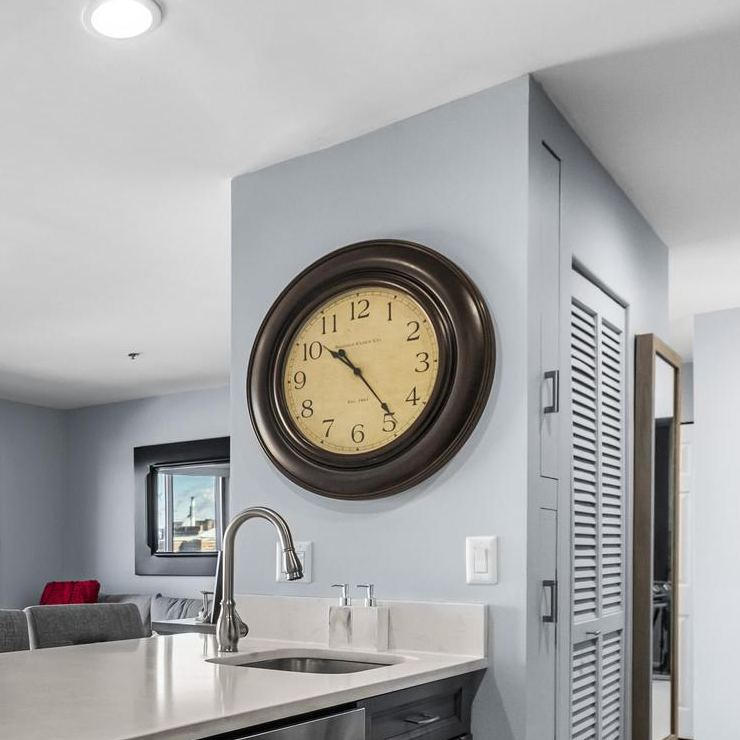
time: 10:23
